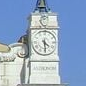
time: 4:29
